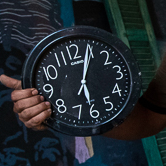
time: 6:04
